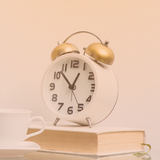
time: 12:52
